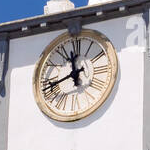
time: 11:41
